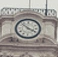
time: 3:52
